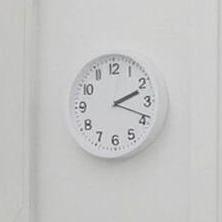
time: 2:18
